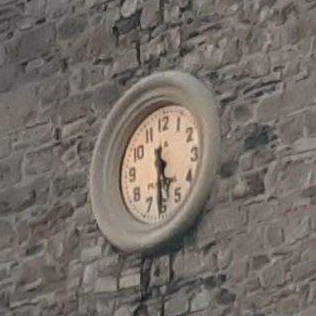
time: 5:30
